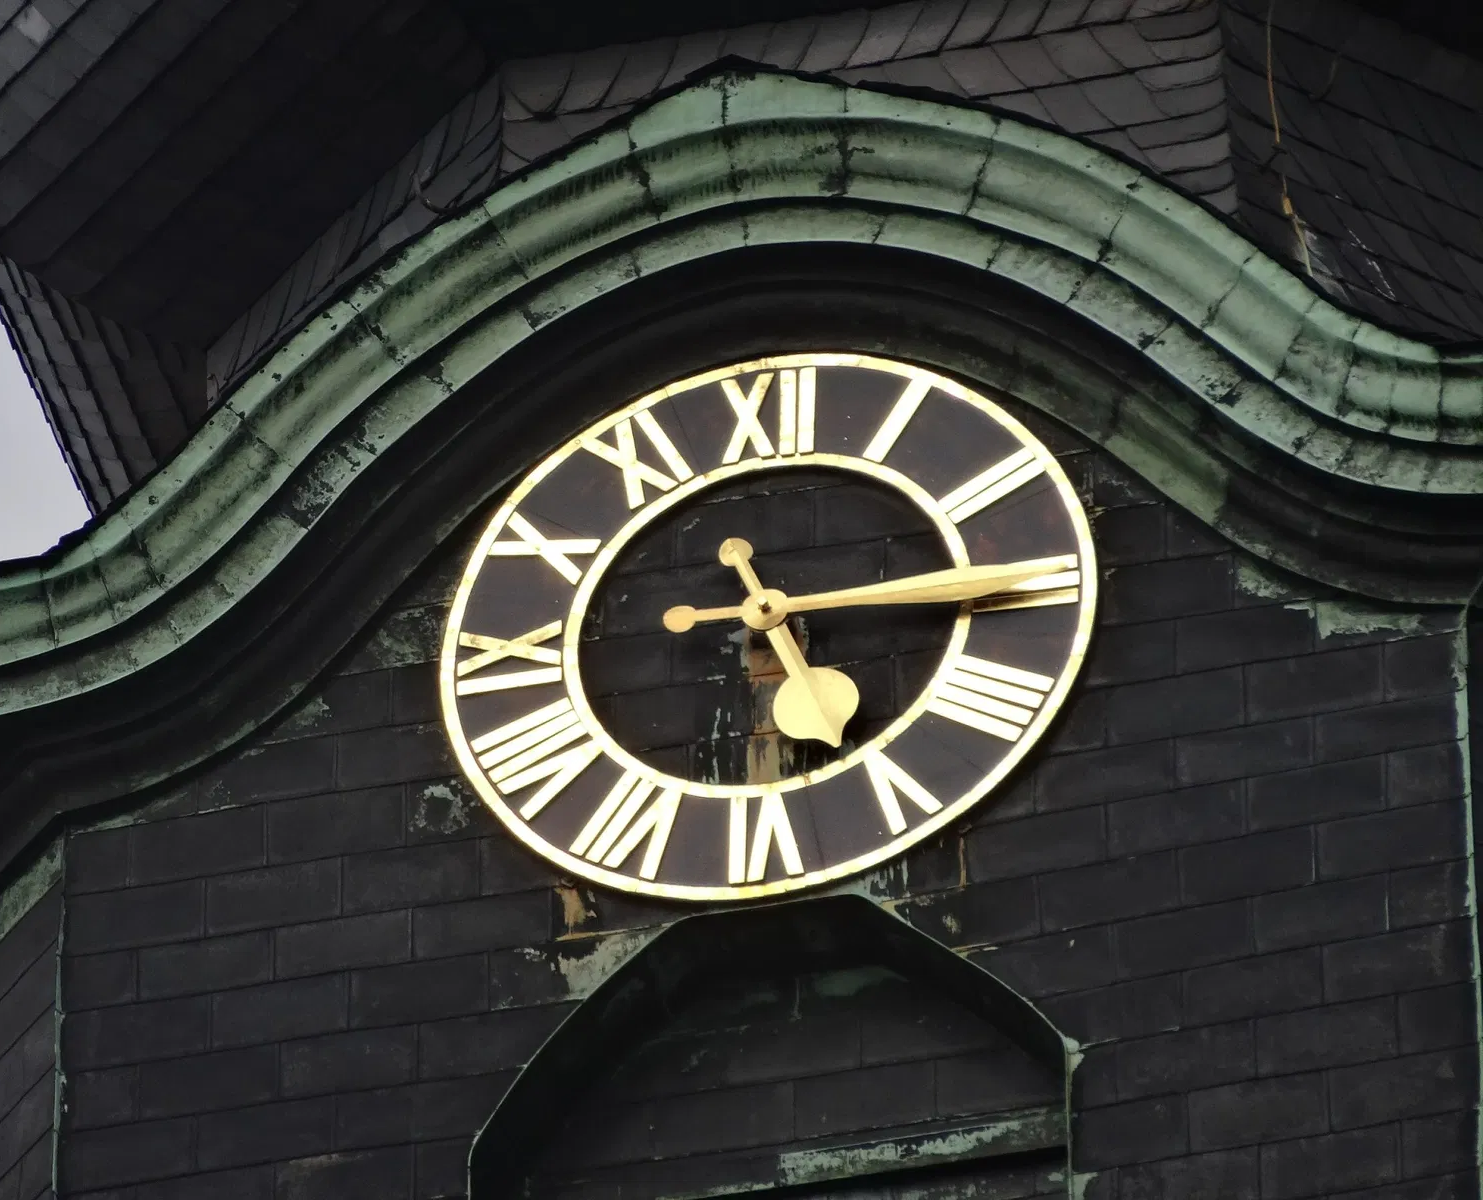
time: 5:14
